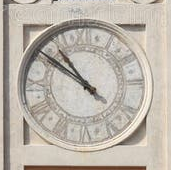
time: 10:51
